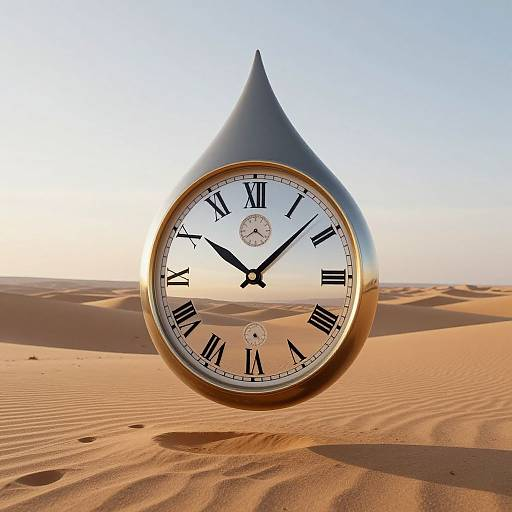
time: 10:07
